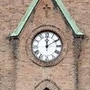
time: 12:09
